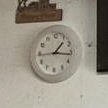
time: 1:16
